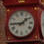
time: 1:44
